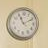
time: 11:10
